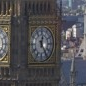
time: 12:24
